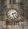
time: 2:25
